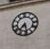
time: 7:28
